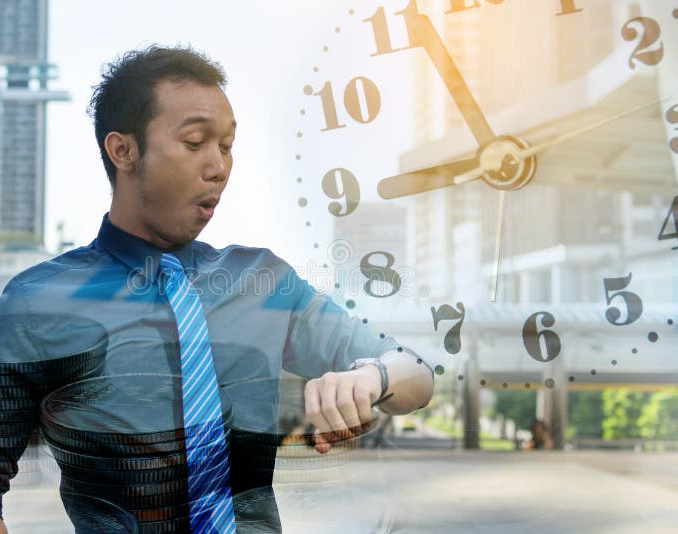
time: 8:56
